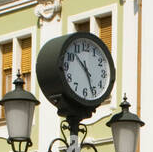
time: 10:26
